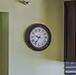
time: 9:36
